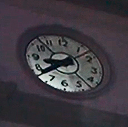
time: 8:38
